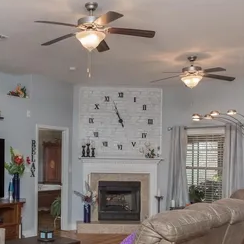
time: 10:56
